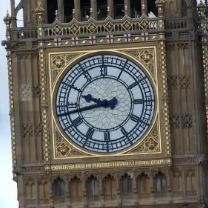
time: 9:42
